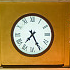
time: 7:25
